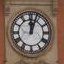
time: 12:03
